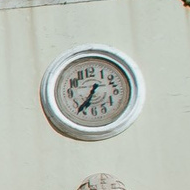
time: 6:36
